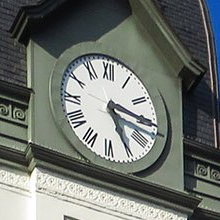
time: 5:15
